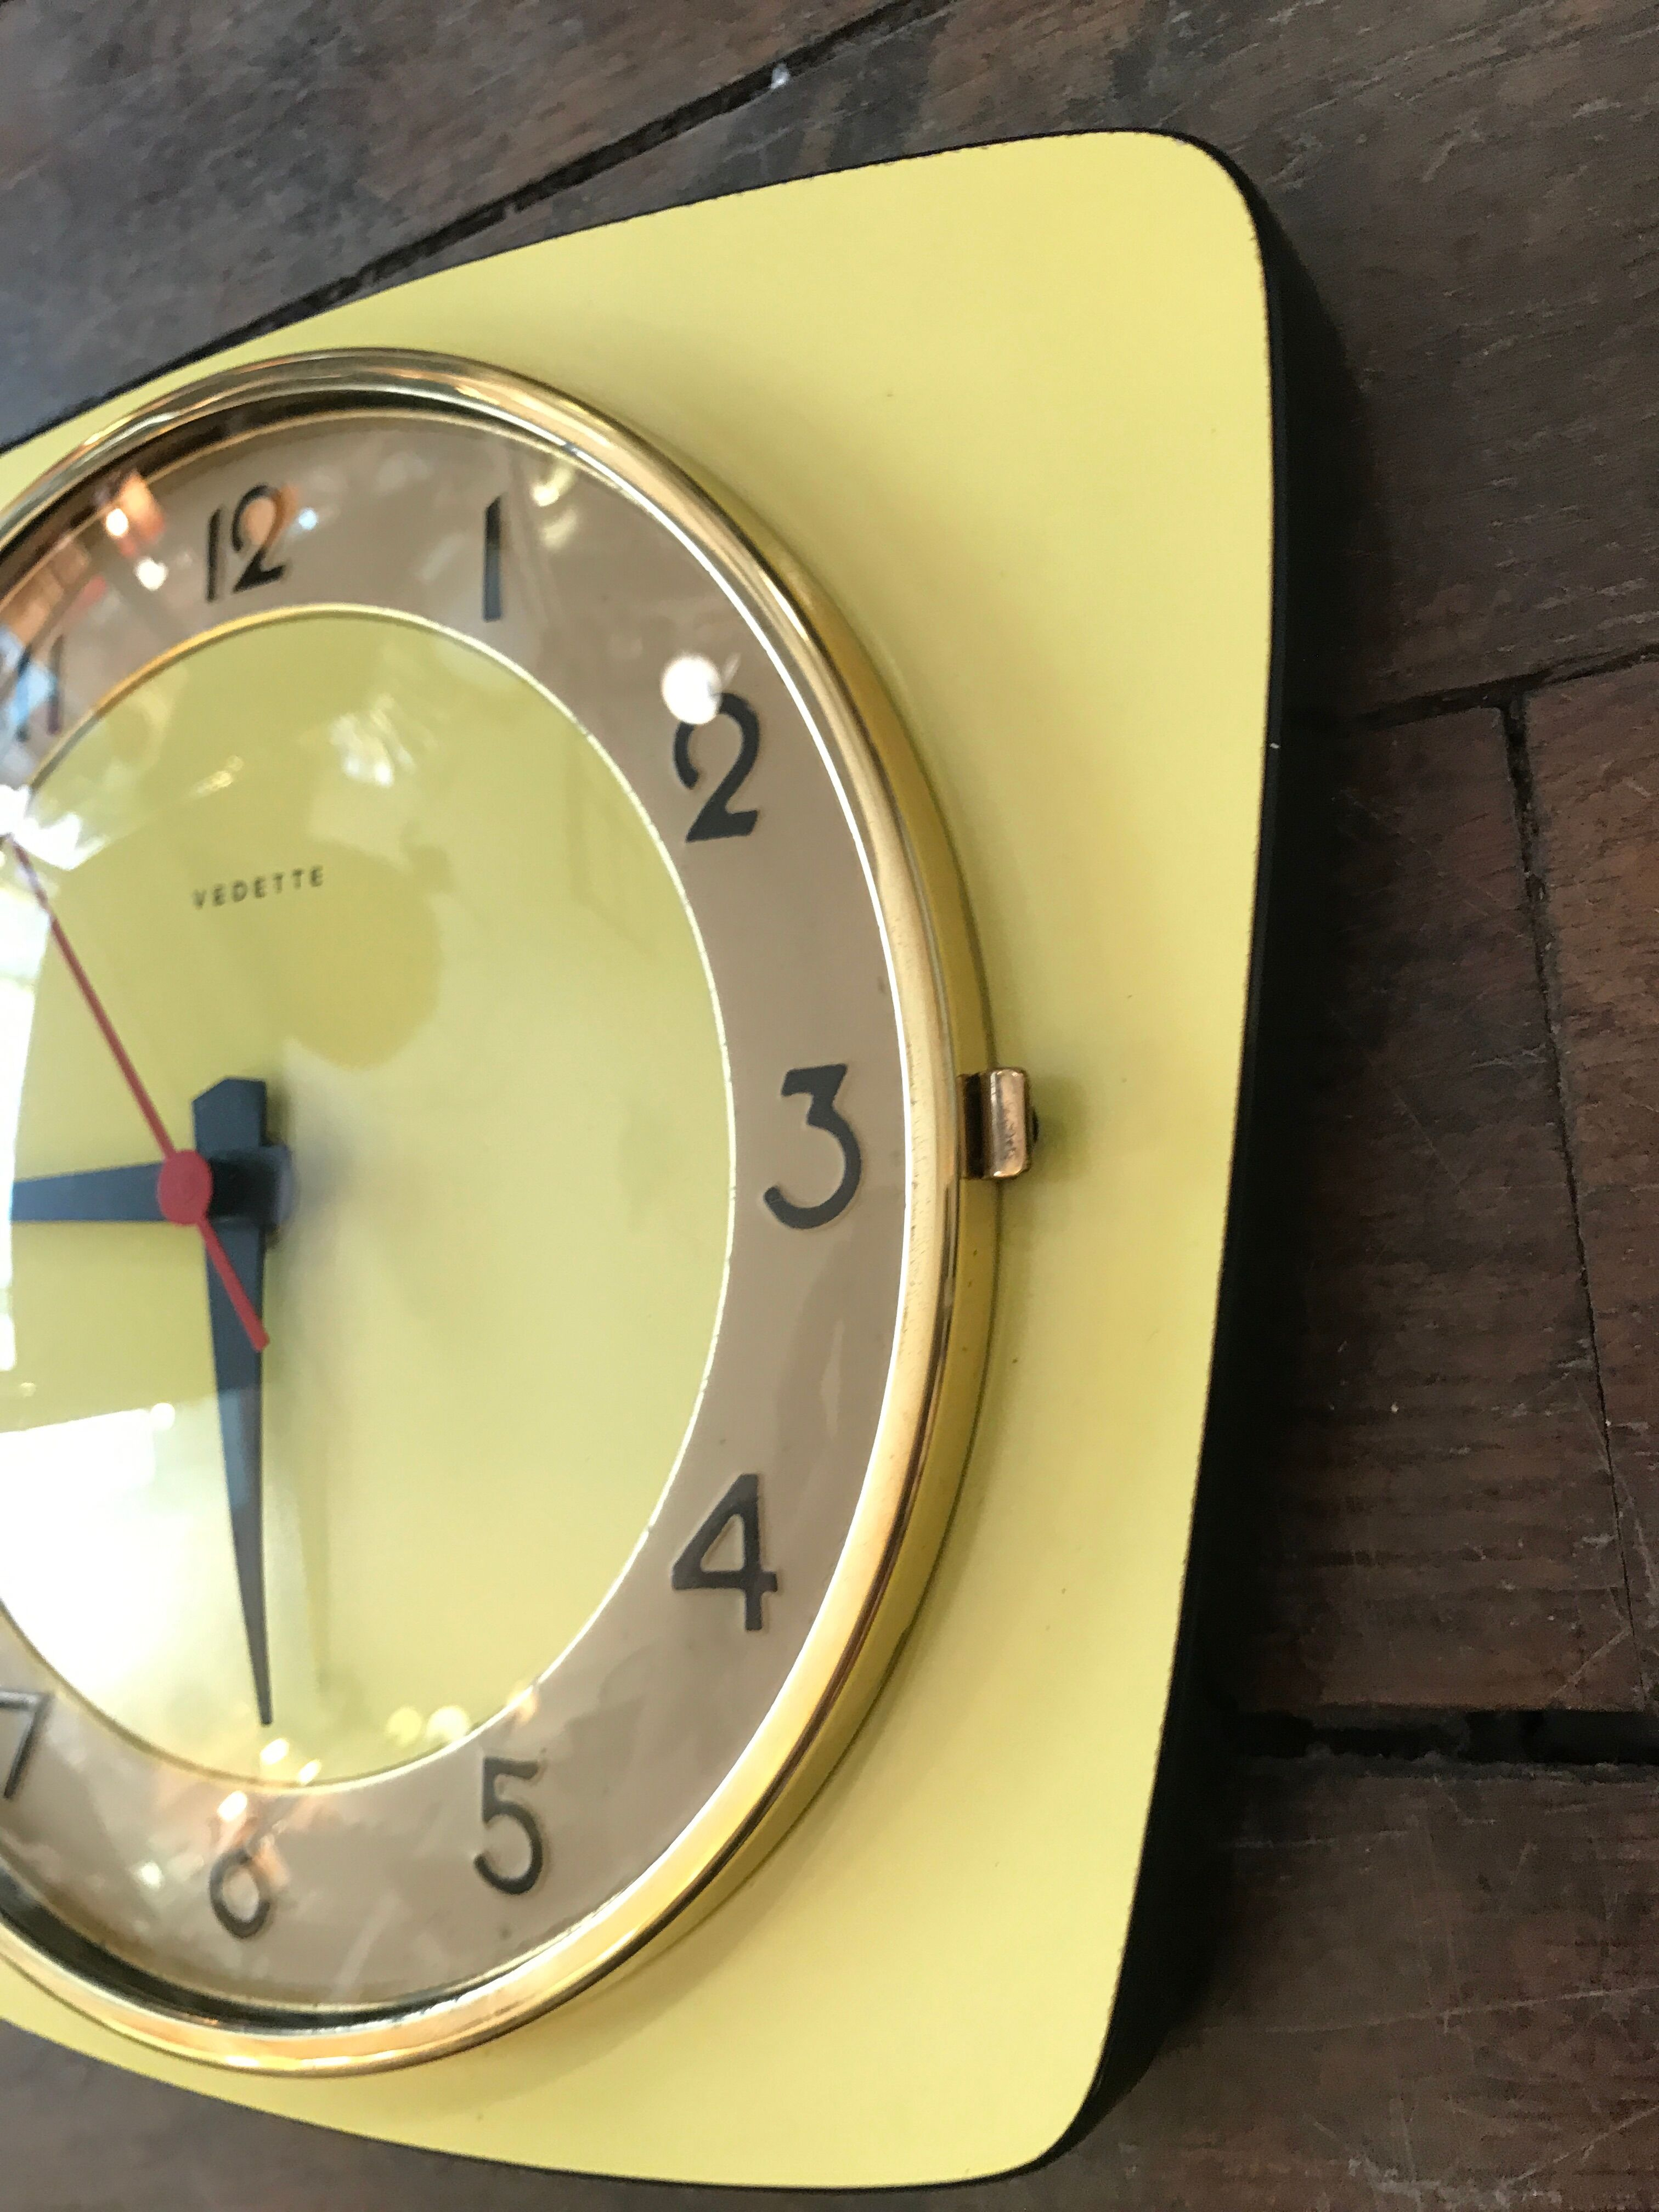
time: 8:29
